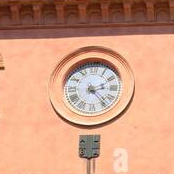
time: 2:23
